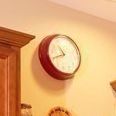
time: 10:41
